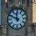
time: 11:49
